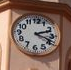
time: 2:18
